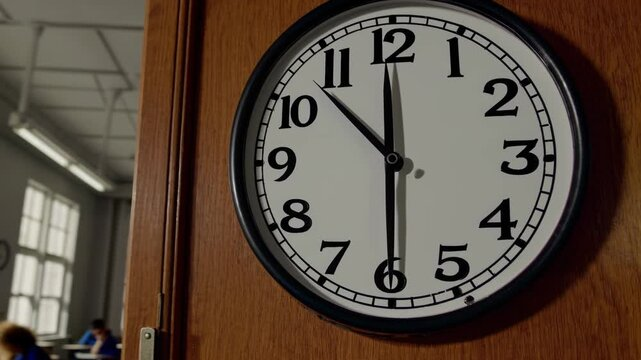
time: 10:29
